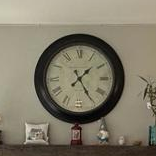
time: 1:24
